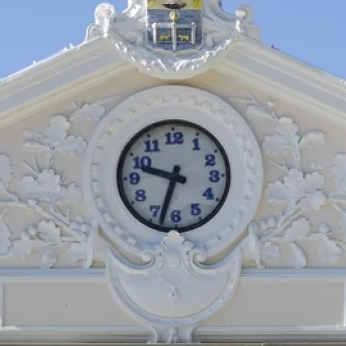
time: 9:33
